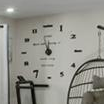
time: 11:32
